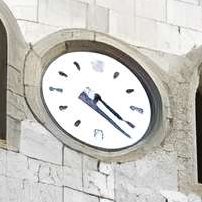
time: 4:20
